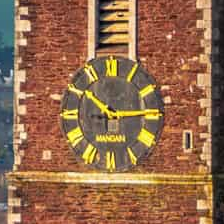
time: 10:14
